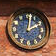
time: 2:01
